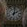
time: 2:01
